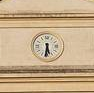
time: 5:31
